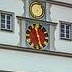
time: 11:28
